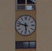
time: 5:47
